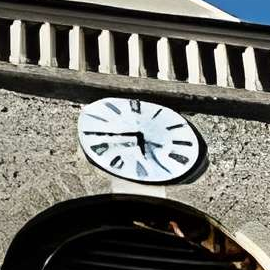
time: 5:44
